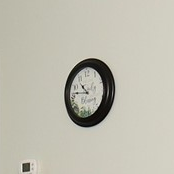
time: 10:46
